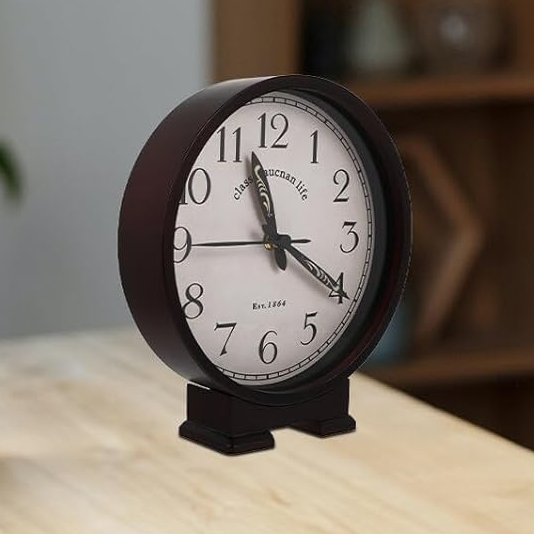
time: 11:20
